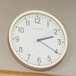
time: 2:20
